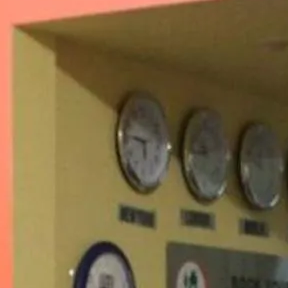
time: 5:45
